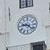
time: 9:22
